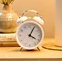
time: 4:04
